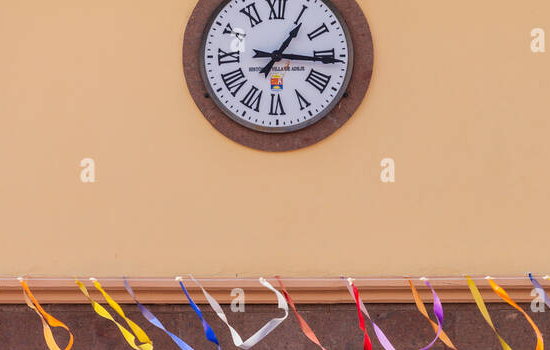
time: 1:15
